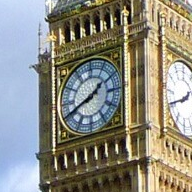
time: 1:41
